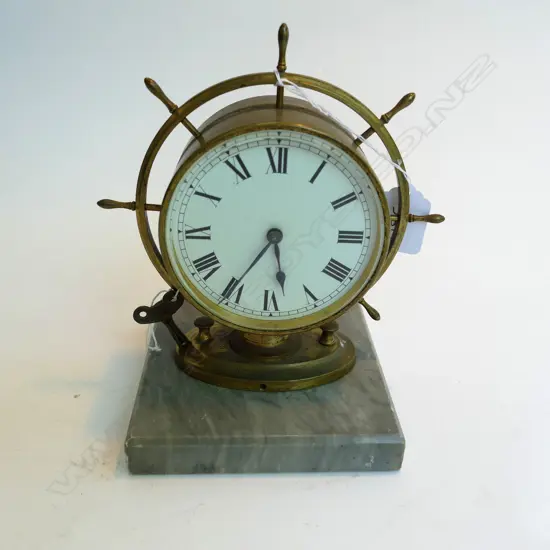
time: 5:35
